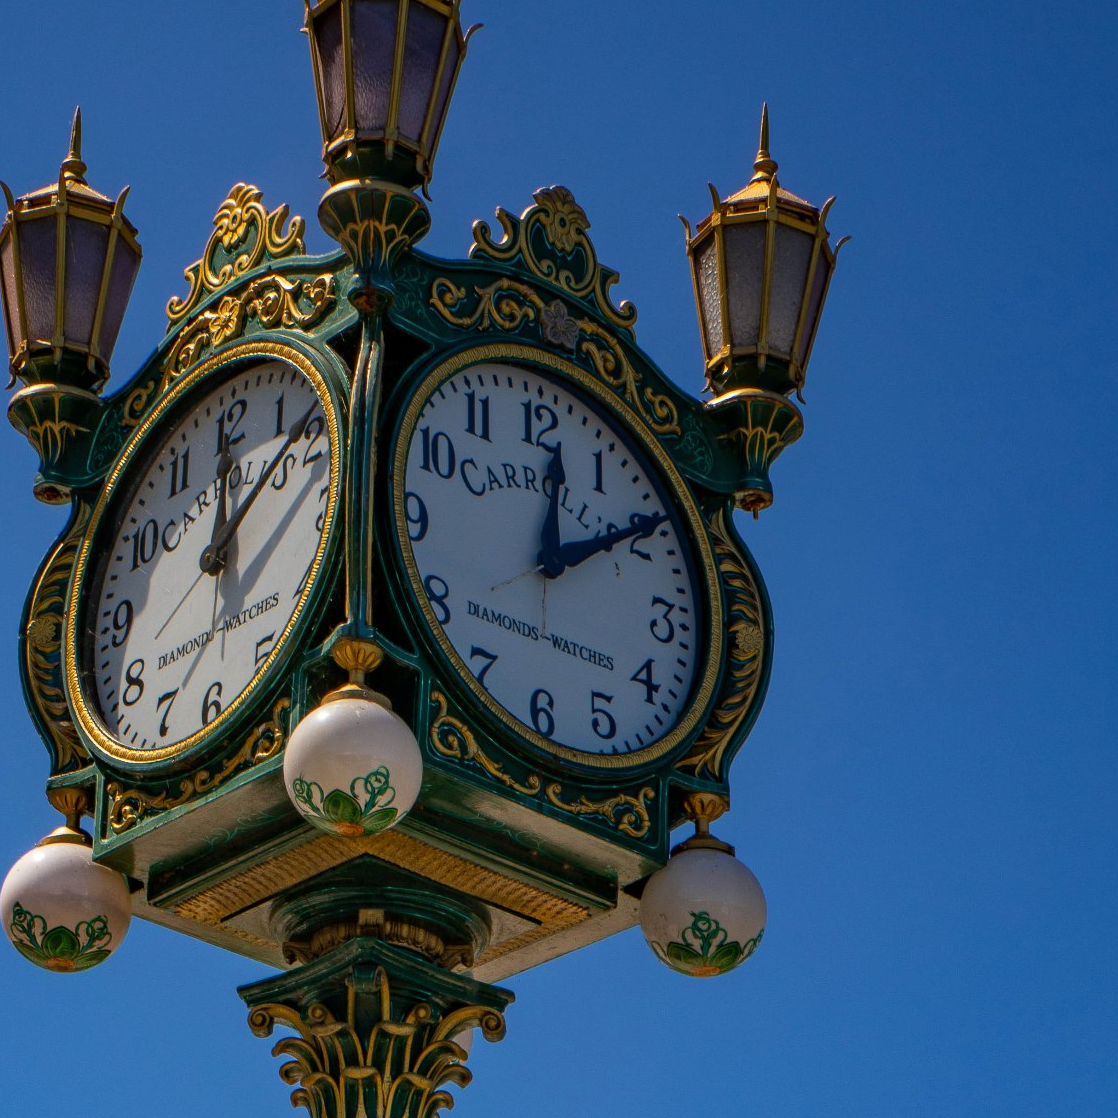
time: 12:09
